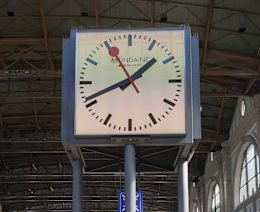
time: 1:41
